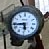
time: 5:43
